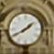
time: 1:40
